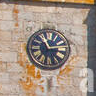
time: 11:13
